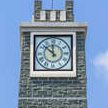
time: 11:52
